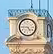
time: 4:45
